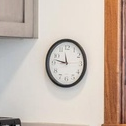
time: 11:46
